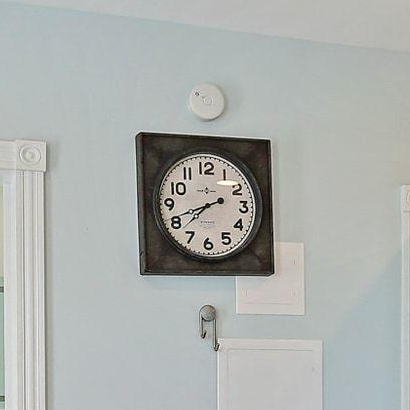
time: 7:41
